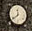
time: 11:38
